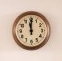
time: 12:00
